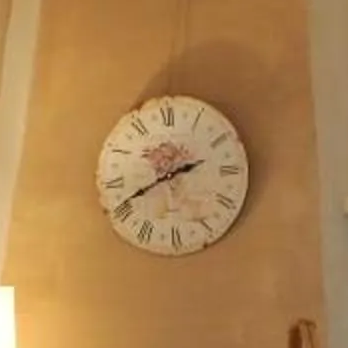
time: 2:41
